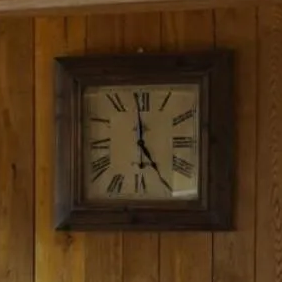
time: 4:59
